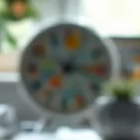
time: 7:15
